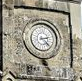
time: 2:21
